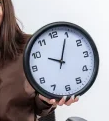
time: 10:04
